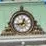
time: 12:43
